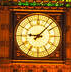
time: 9:07
